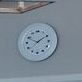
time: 1:49
